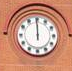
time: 11:59
